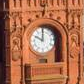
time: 10:00
